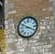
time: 3:49
